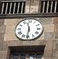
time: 11:31
